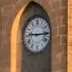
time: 9:15
